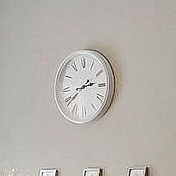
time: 2:38
